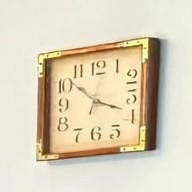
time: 3:51
